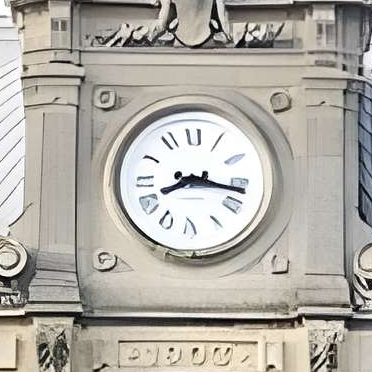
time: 8:16
